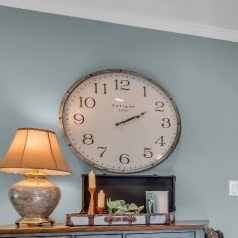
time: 2:10
